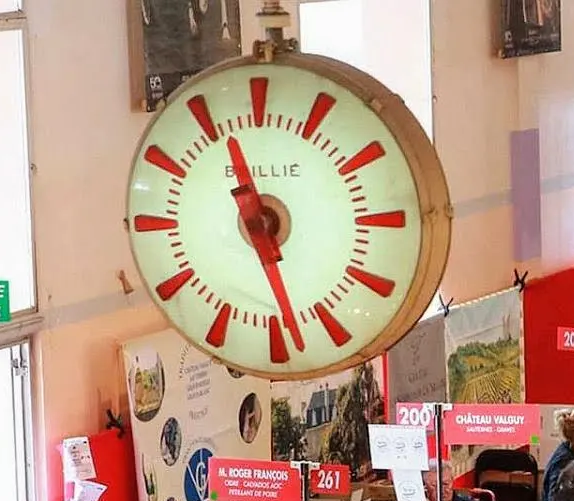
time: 11:28
